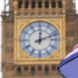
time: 12:11
